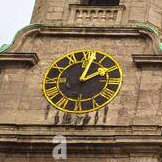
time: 2:02
